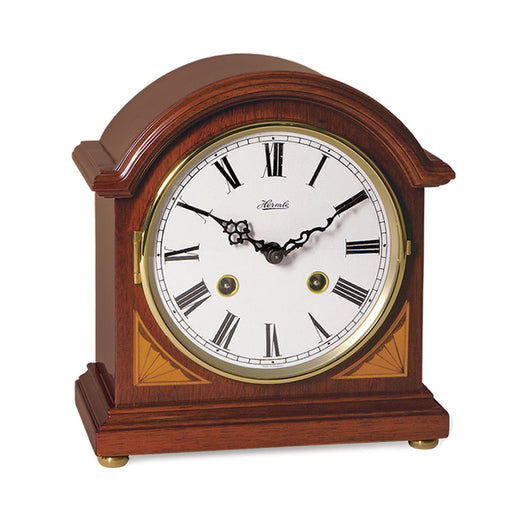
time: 1:50
